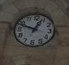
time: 12:48
